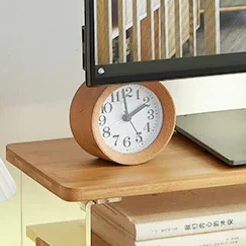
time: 1:59
